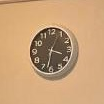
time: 3:32
